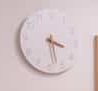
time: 3:27
